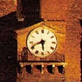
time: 5:41
